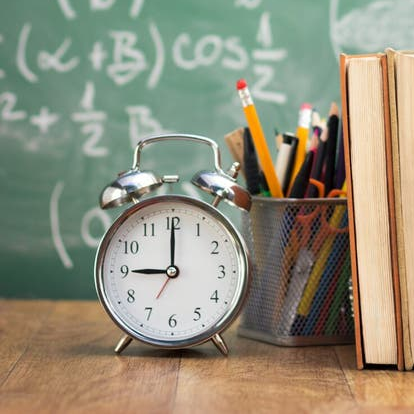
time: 9:00
